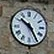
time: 10:25
